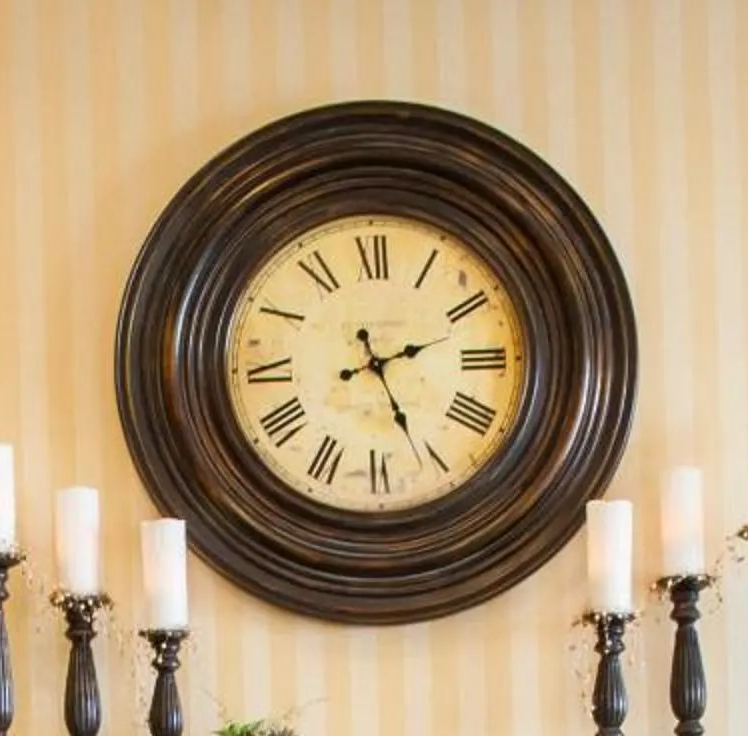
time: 2:25
